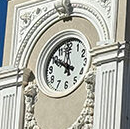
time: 9:59
